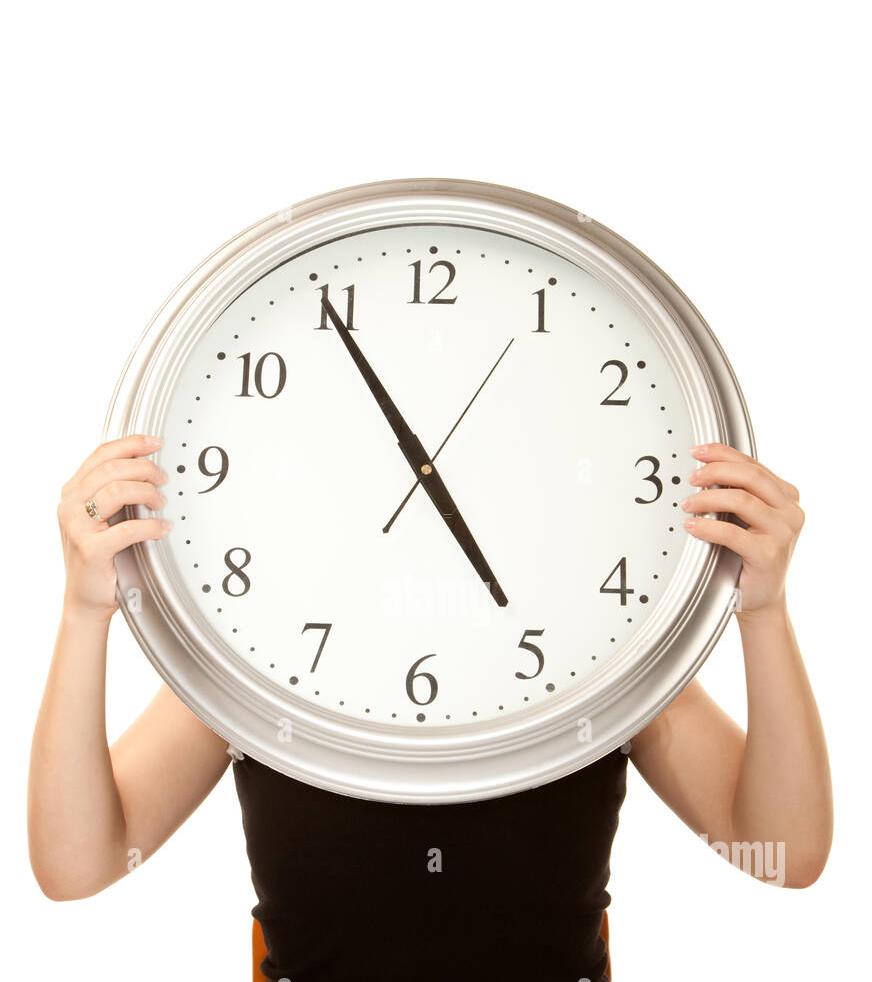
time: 4:54
